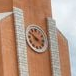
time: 3:50
